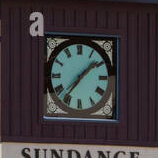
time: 1:36
